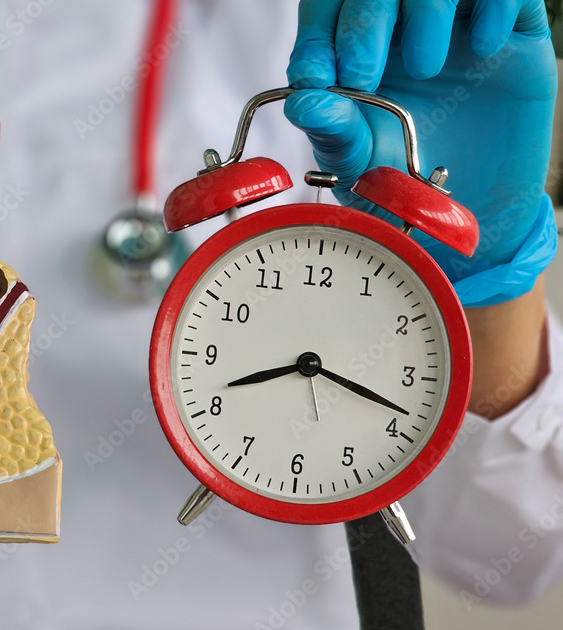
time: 8:18
